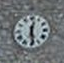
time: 12:28
